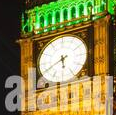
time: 5:40
